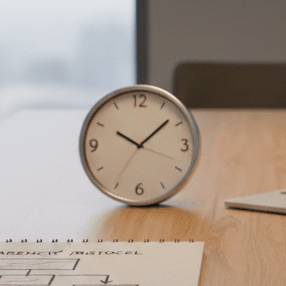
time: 10:08
